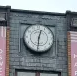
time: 12:30
